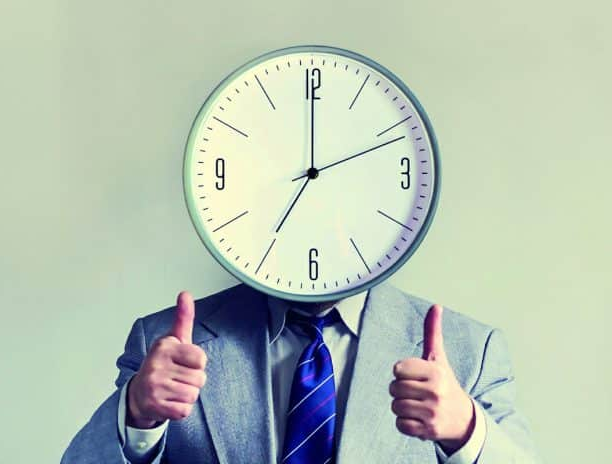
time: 7:00
